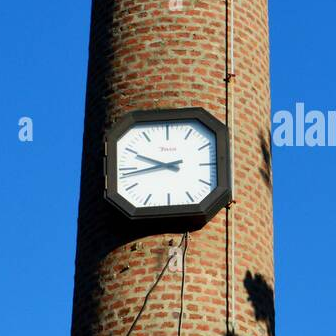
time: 9:42
